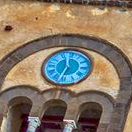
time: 11:32
